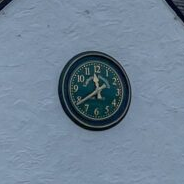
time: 11:39
